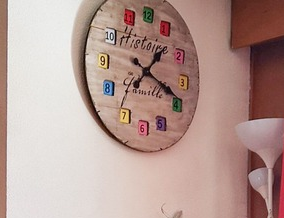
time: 1:18
